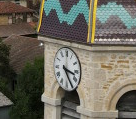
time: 3:24
